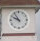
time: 9:54
